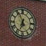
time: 6:55
